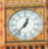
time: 12:37
